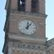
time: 12:07
